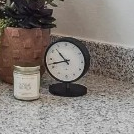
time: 10:42
